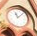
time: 11:07
